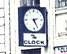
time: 2:25
